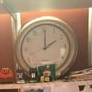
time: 2:00
